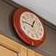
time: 12:46
